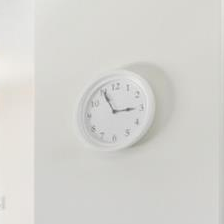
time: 2:55
